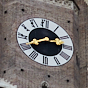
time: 2:40
